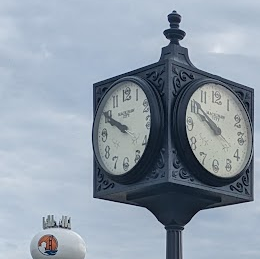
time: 9:50
